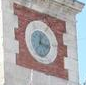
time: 12:16
